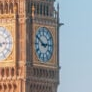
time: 2:49
